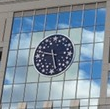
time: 9:27
